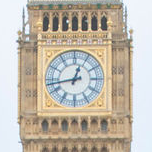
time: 12:43
